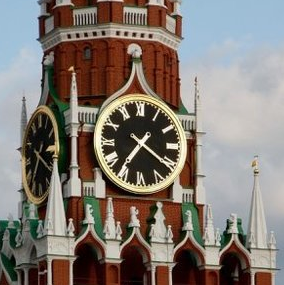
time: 7:20
